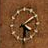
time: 4:09
